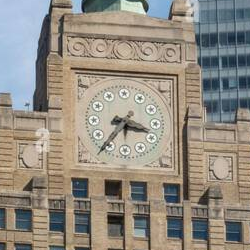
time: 3:36
